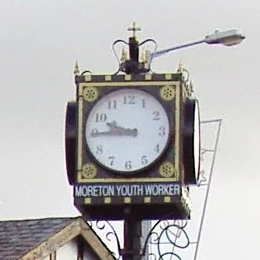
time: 9:44
